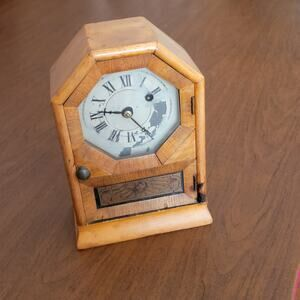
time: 9:22
